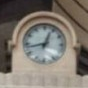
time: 12:43
